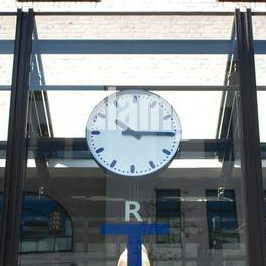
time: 10:15
